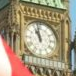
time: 10:58
